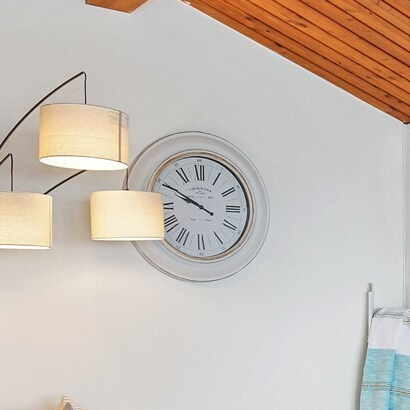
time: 9:49
